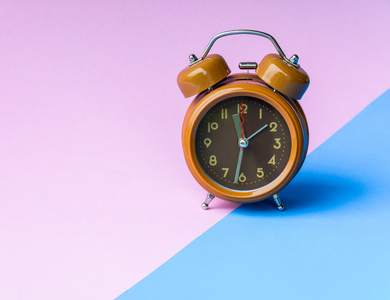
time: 11:32
